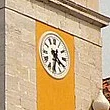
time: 6:19
